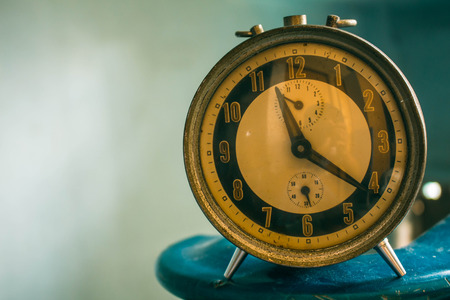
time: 11:21
